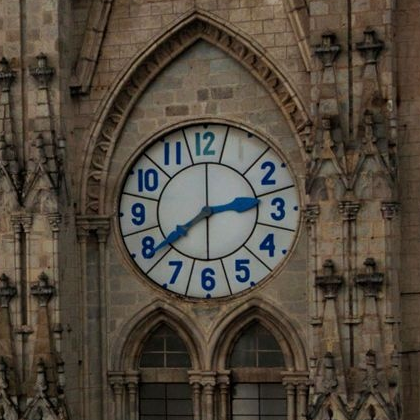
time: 2:39
